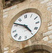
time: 4:50
